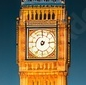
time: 7:14
